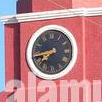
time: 7:42
